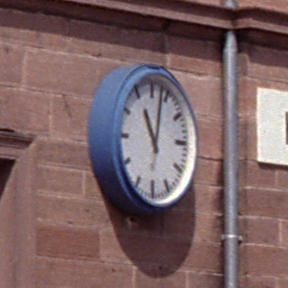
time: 11:02
